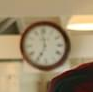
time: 6:58
